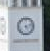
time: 5:12
